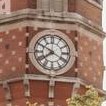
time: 7:49
